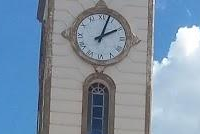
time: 2:03
